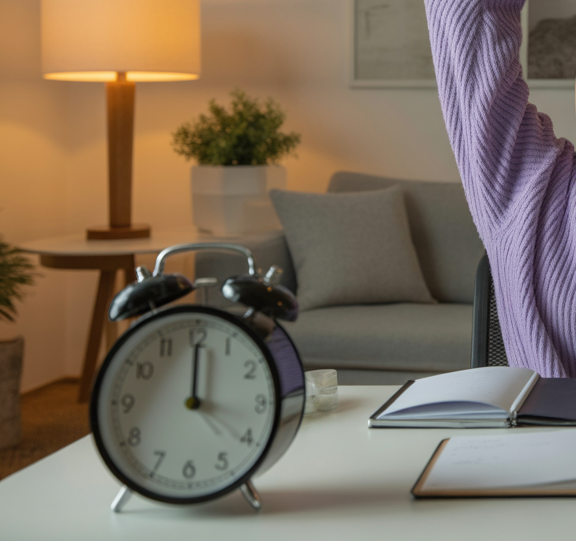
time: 12:00
